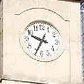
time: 9:34
